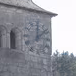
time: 12:08
